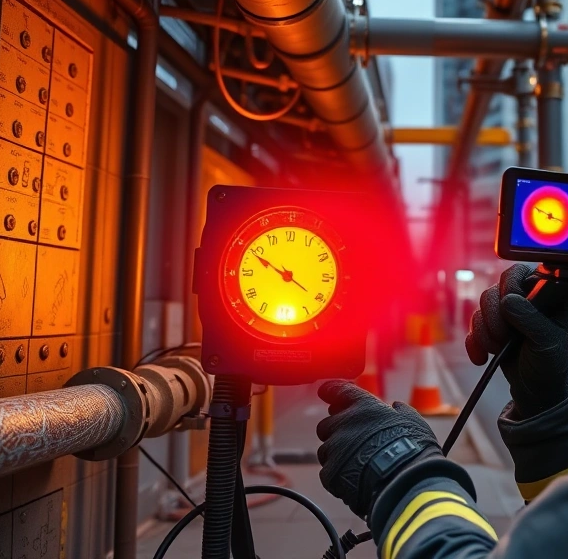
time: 9:49
